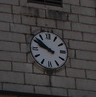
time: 9:51
